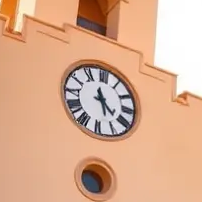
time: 11:21
